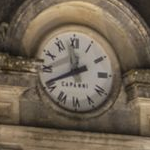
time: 11:40
